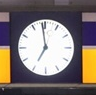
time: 6:58
